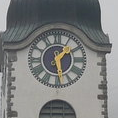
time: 1:28
